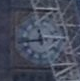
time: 11:43
